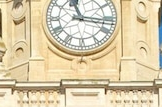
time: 11:16
